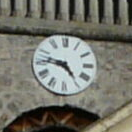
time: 4:46
